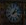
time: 1:11
